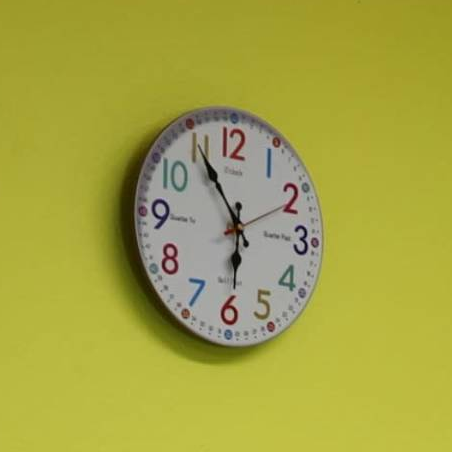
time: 5:54
